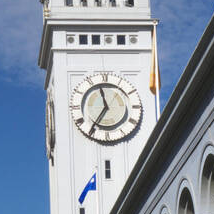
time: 11:35
